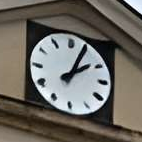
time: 2:04
